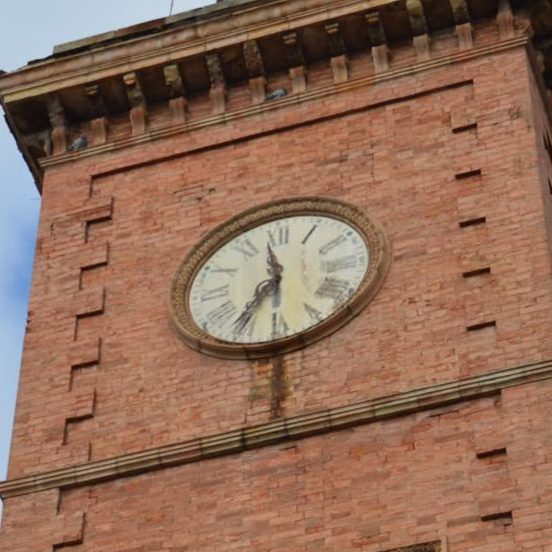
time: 11:35
